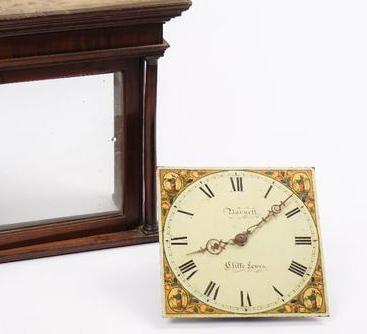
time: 8:08
